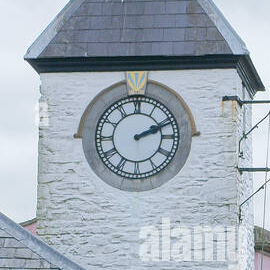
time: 2:11
